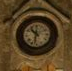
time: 10:32
